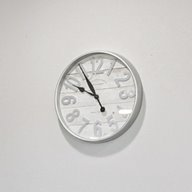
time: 9:54
